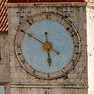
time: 5:50
